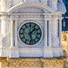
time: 1:28
